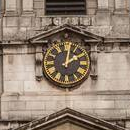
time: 2:01
